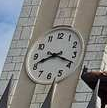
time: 8:18
